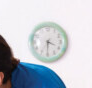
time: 3:30
